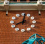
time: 8:01
